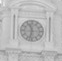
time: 11:32
